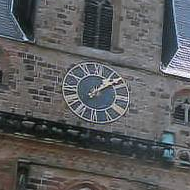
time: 1:08
